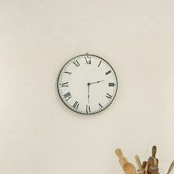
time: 2:29
